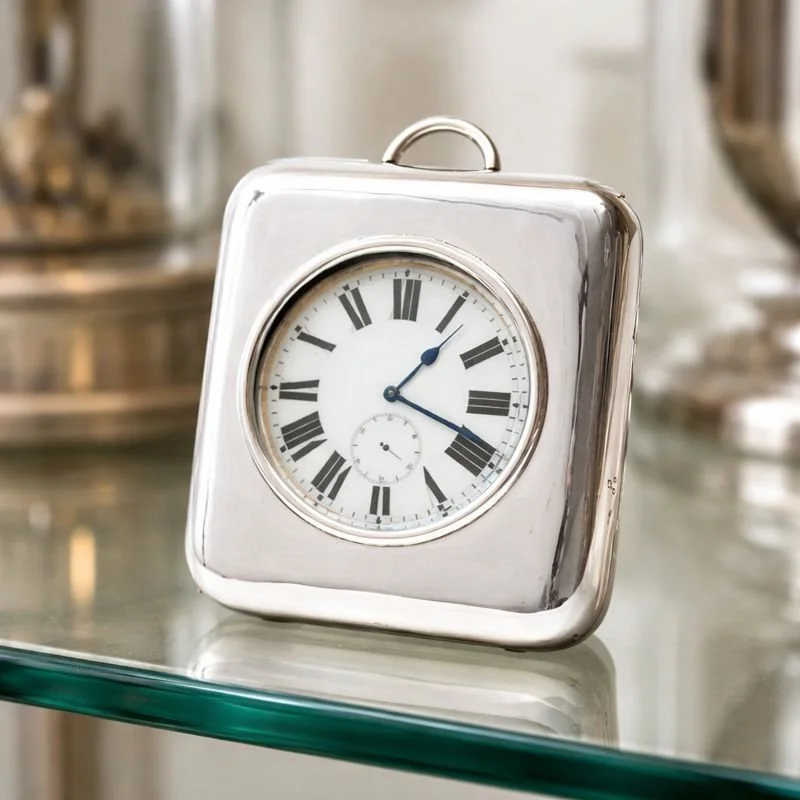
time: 1:18
